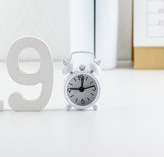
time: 12:13
